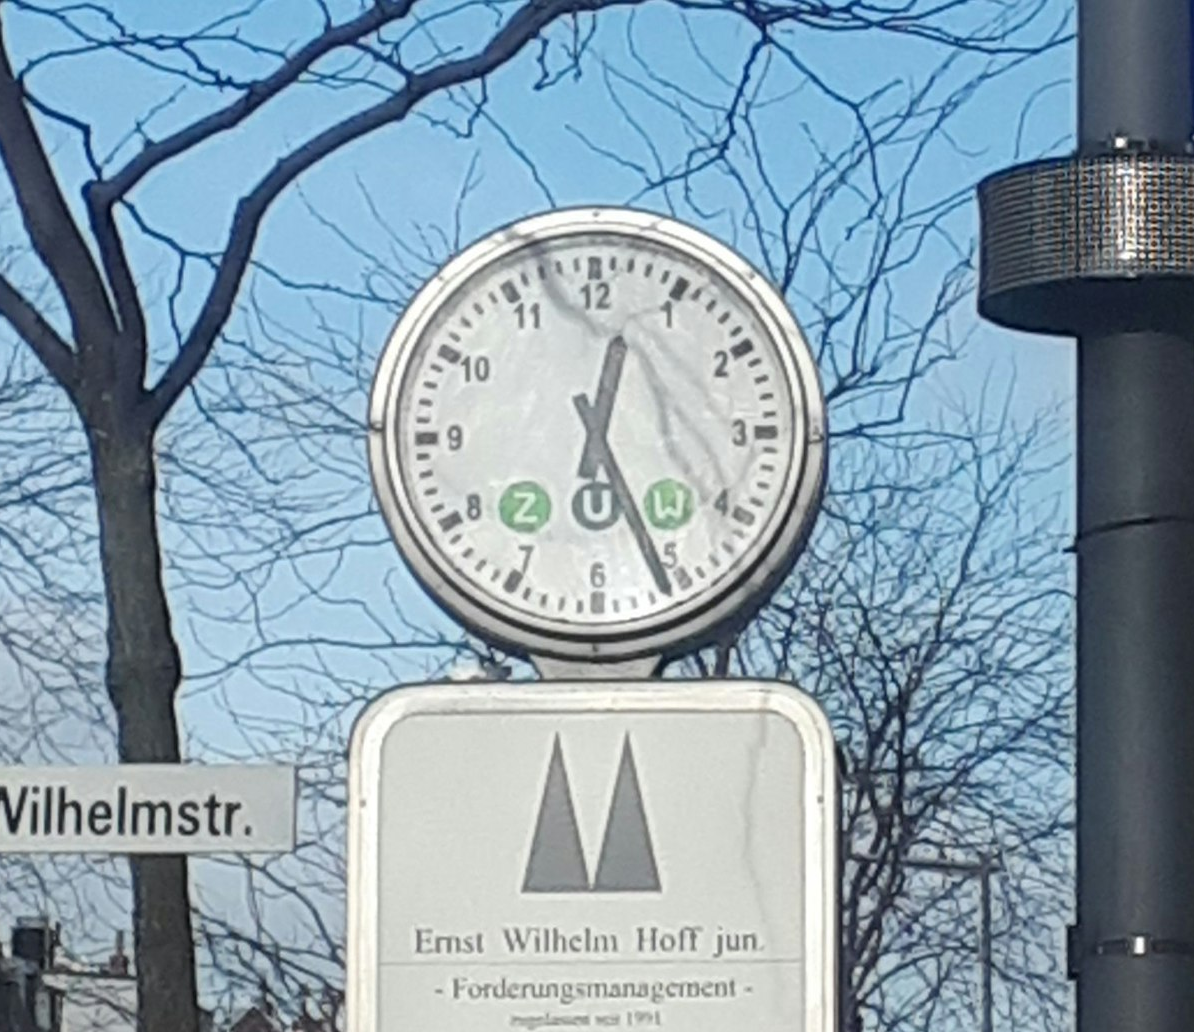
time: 12:26
